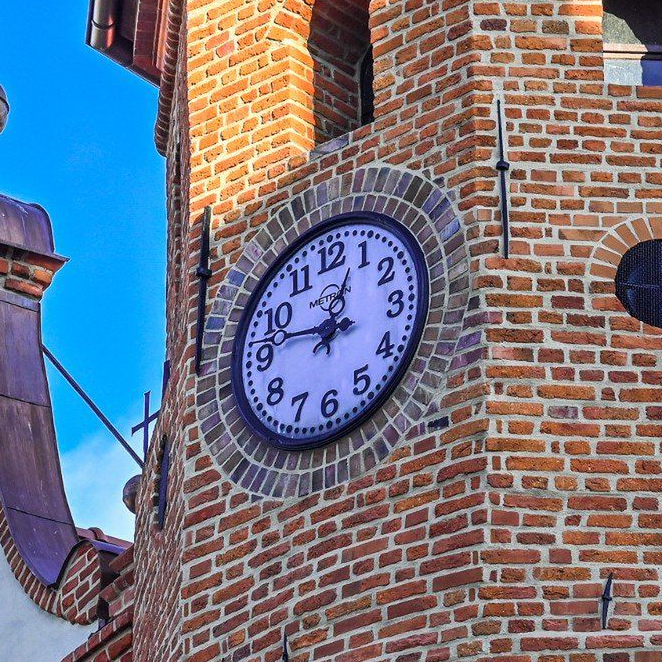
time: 12:46
